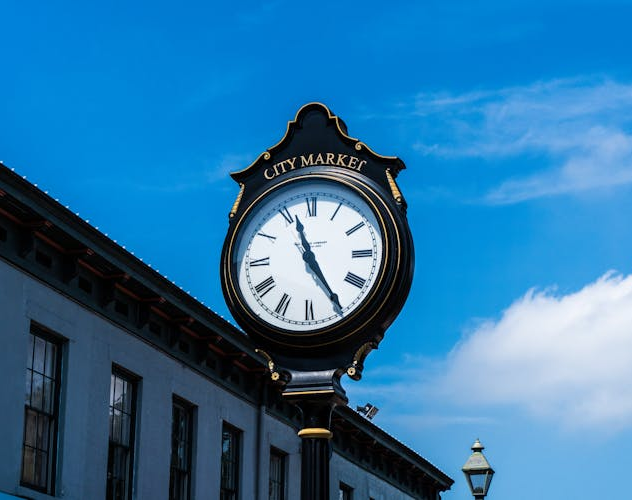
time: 11:24
